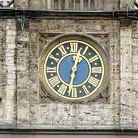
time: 12:30
